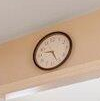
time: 9:25
